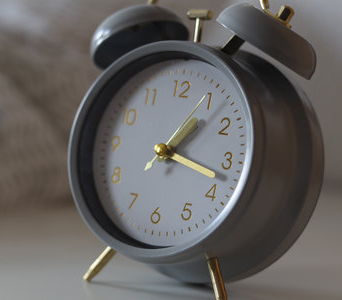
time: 1:17
